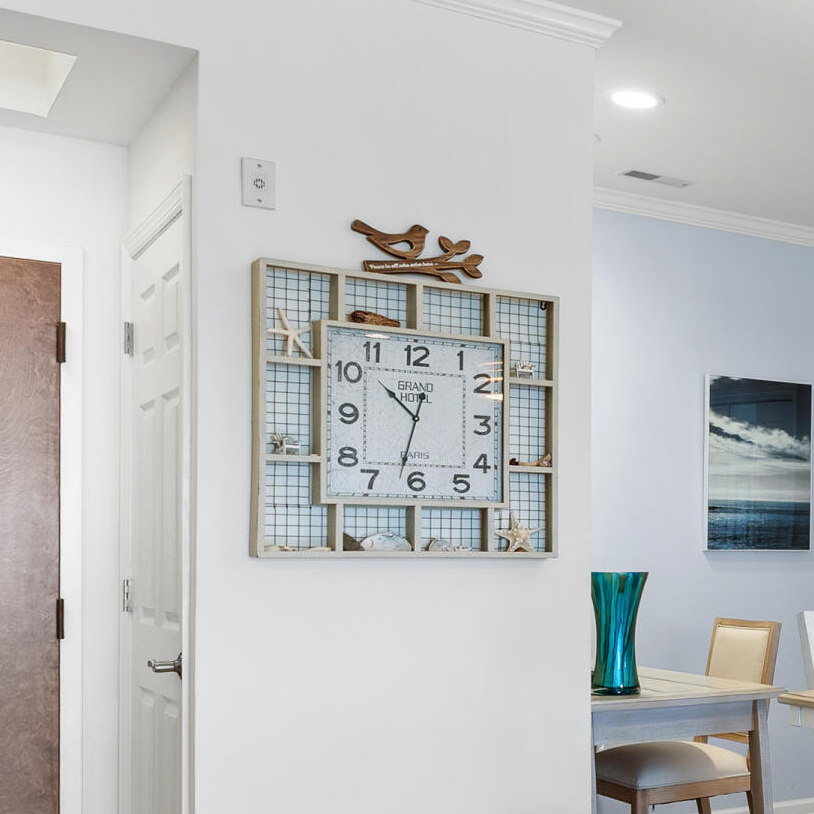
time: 10:32
